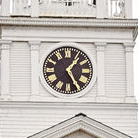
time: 1:24
